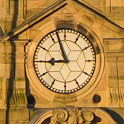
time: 8:56
